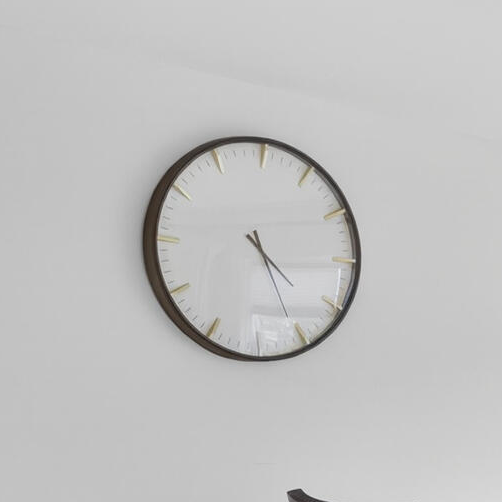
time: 4:25
